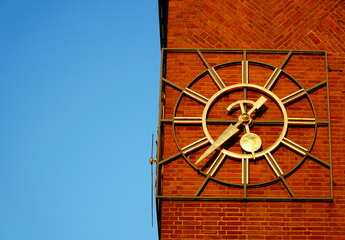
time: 7:15
